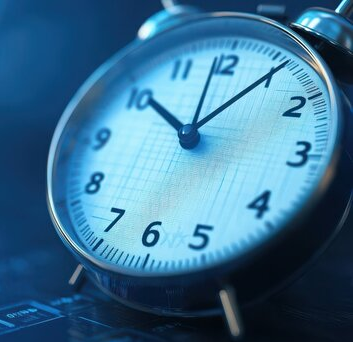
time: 10:06
